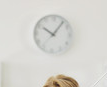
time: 10:05
